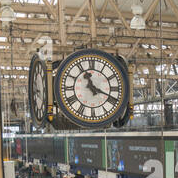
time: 11:18
